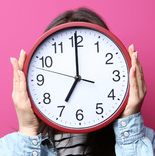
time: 6:59
